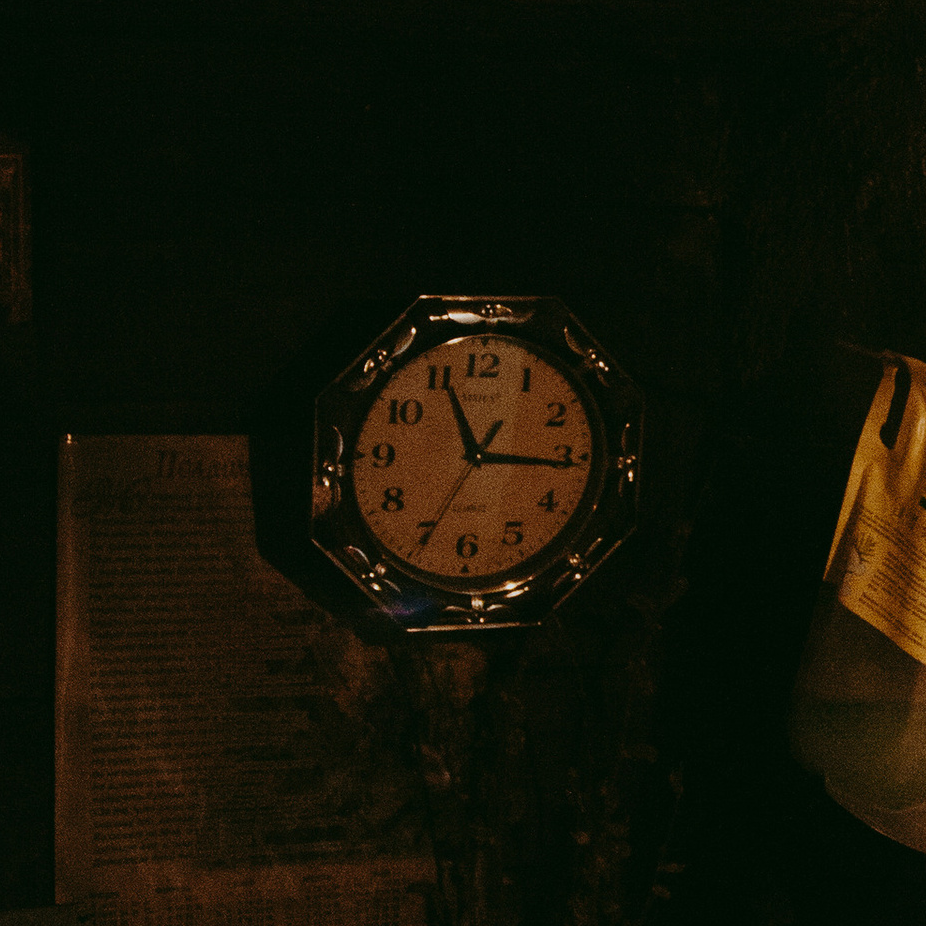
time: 11:15
